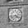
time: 4:42
